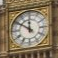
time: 11:50
